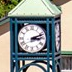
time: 3:12
